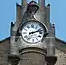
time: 2:12
